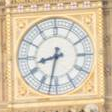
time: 8:32
